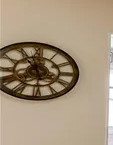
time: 5:54
